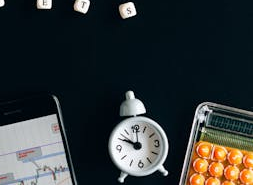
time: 10:00
